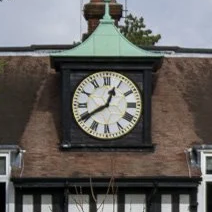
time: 12:40
